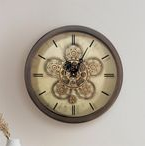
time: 11:04
